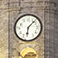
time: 6:07
